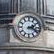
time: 2:18
